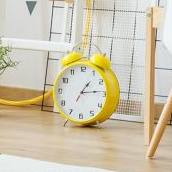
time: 1:13
